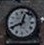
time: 12:41
